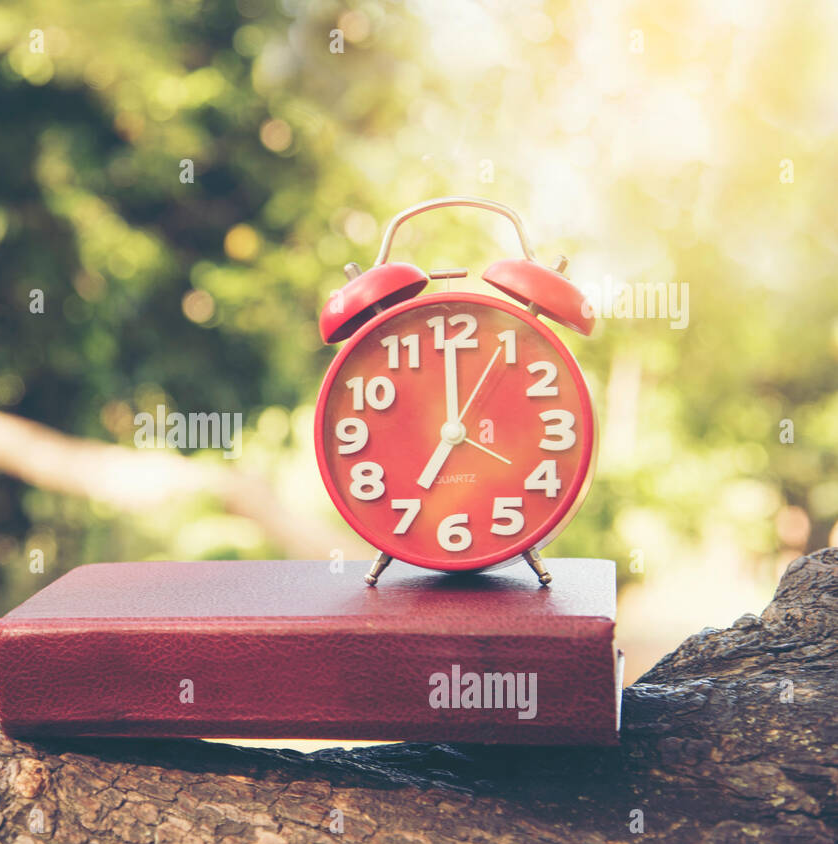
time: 6:59
